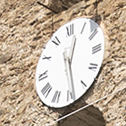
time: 12:28
